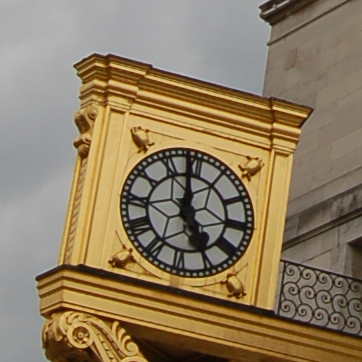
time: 4:59
